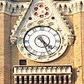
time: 4:26
